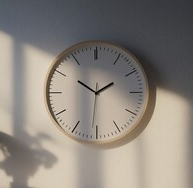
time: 1:50
